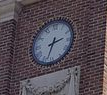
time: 2:33
